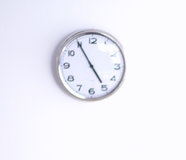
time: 4:54
